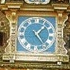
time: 1:24
